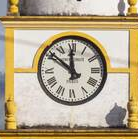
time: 11:51
